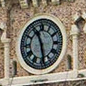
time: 11:28
